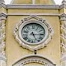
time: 5:14
